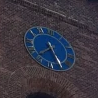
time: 7:25
